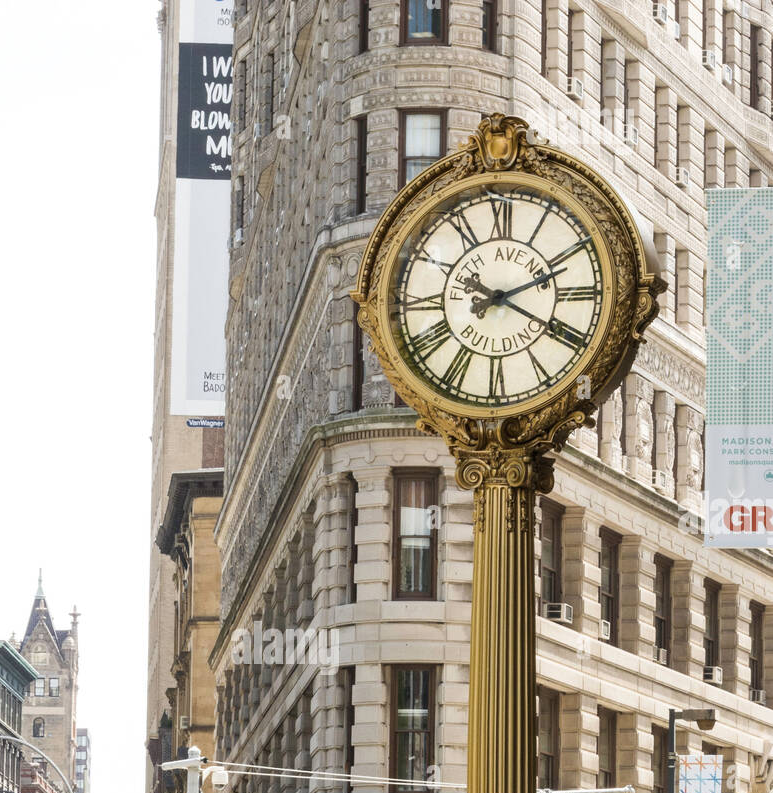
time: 2:19
